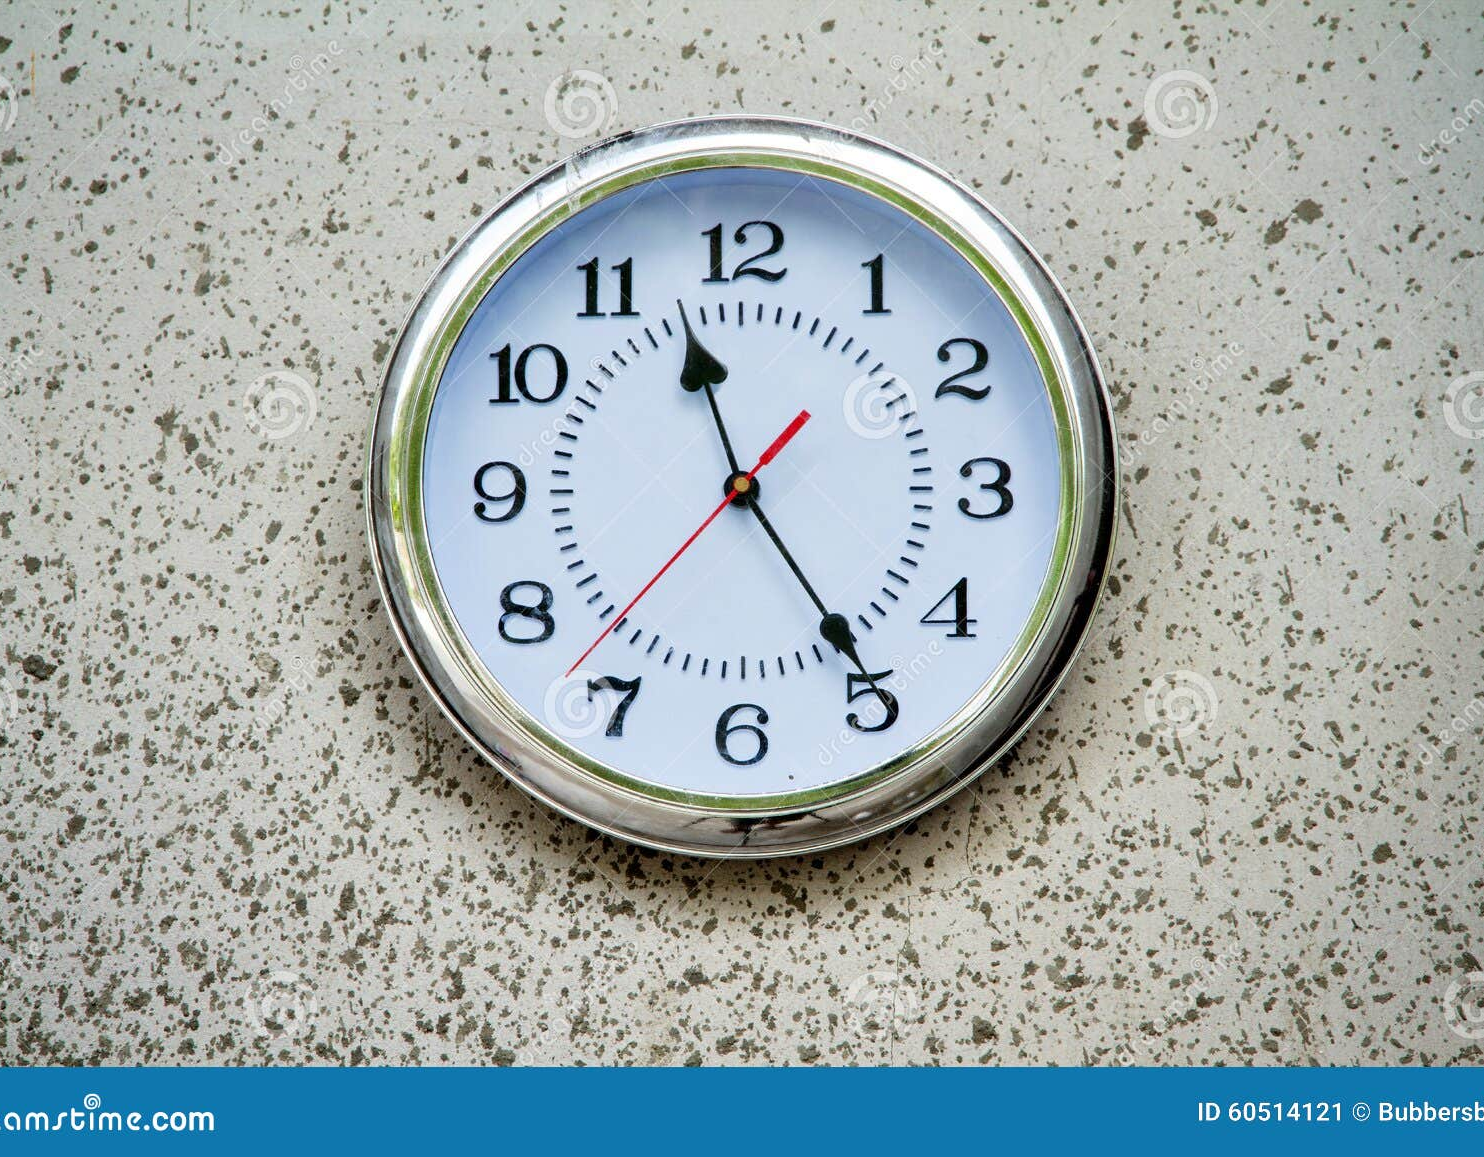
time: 11:24
